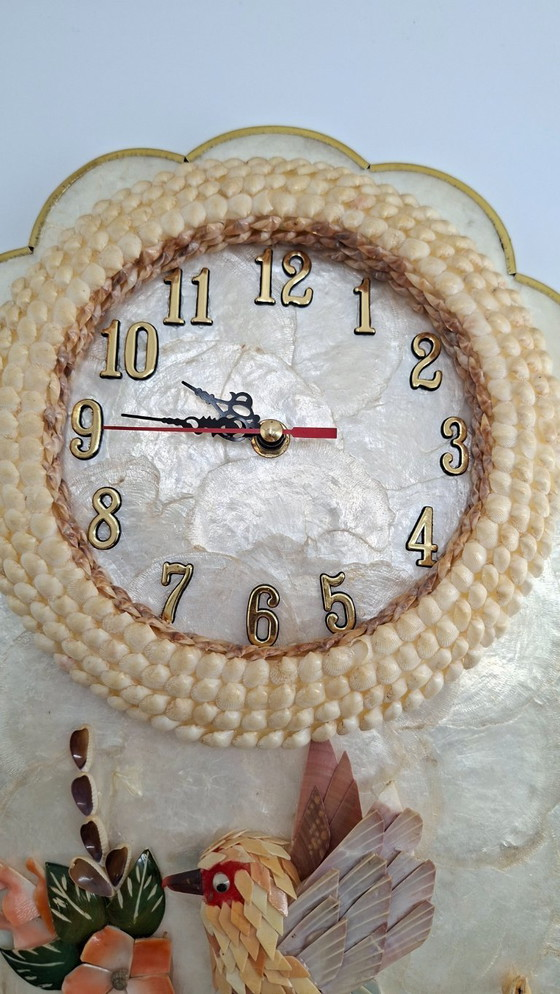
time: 9:45
